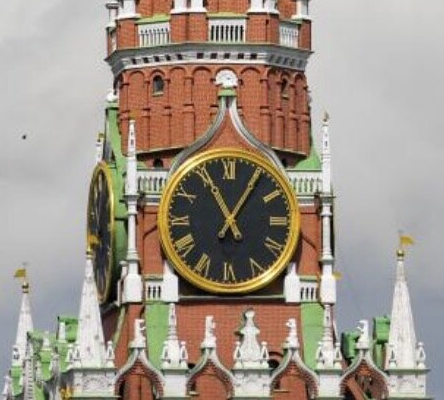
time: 11:05
